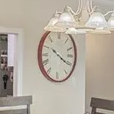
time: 10:20
